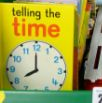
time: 7:59
